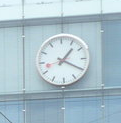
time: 1:20
